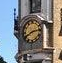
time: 8:12
